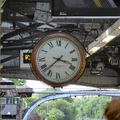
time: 3:37
